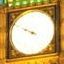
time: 9:49
